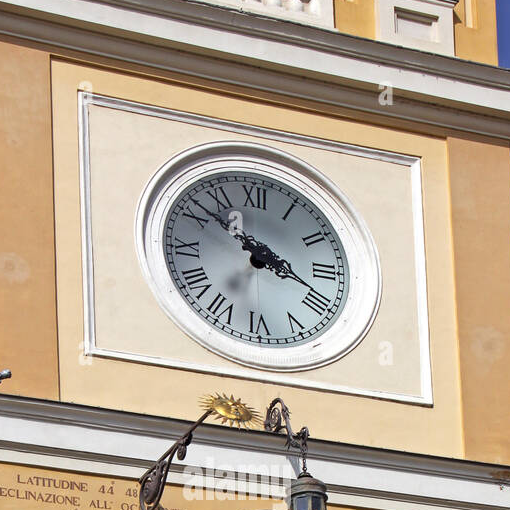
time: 3:51
